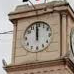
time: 11:59
